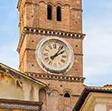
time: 2:06
